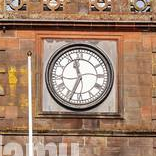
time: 11:33
